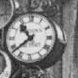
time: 10:38
